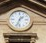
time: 1:33
